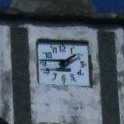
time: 1:46
